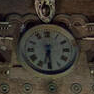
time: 6:29
